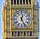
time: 12:25
